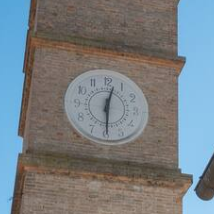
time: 12:29
